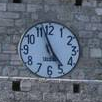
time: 4:57
